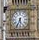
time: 5:34
